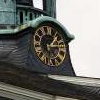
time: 1:12
